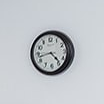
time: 4:42
